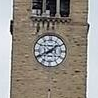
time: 1:40
